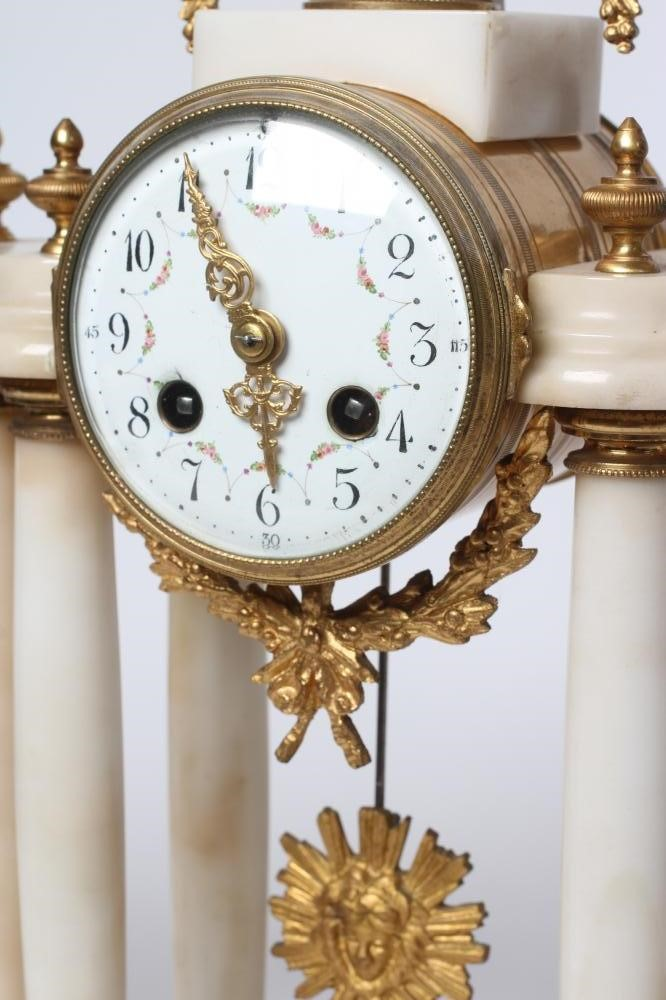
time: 5:55
